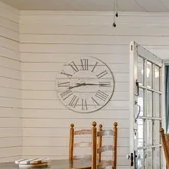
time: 8:14
